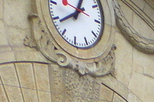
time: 1:43
